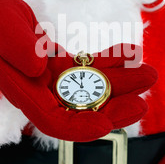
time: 11:52
